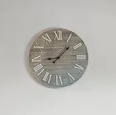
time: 9:07
